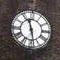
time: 11:28
